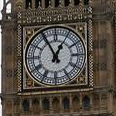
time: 12:55
